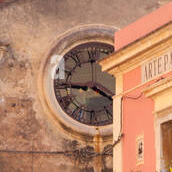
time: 3:45
